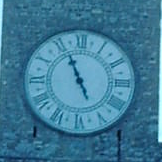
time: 4:56
